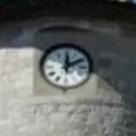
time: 12:10
